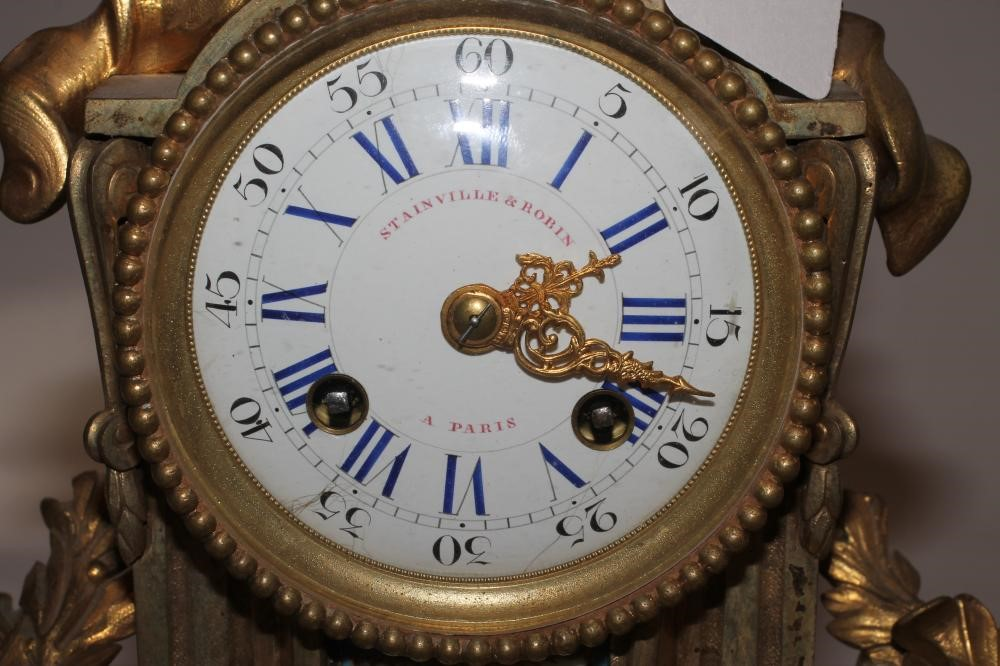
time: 2:18
